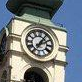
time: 2:05
